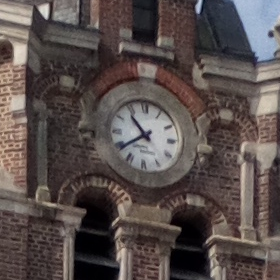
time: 10:39
